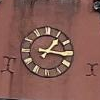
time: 1:16
